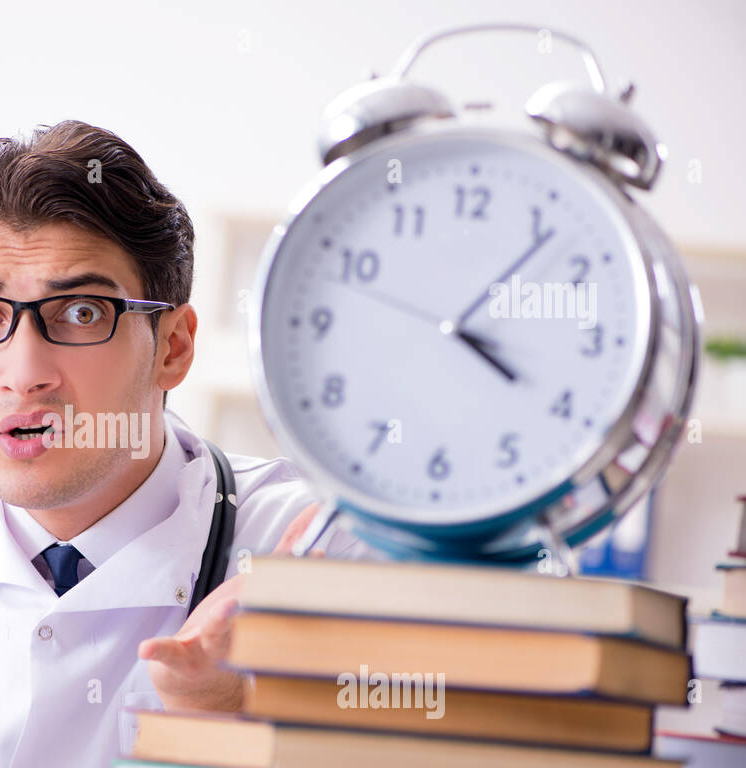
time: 4:06
